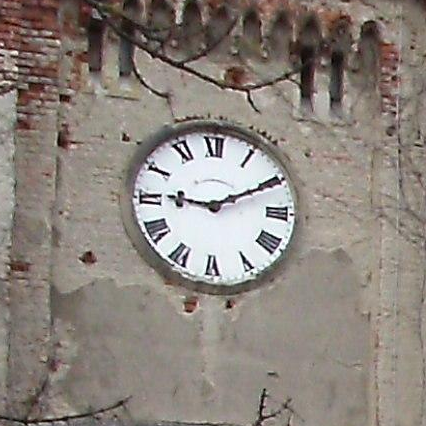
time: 9:10
